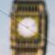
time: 4:12
